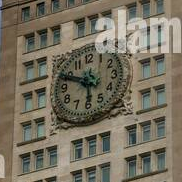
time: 5:49
